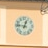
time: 12:46
